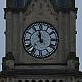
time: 11:37
